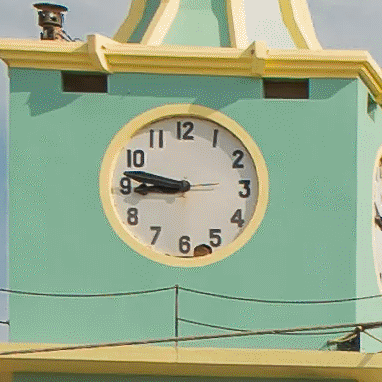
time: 8:46
